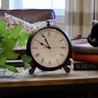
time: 9:55
